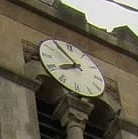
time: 7:53
